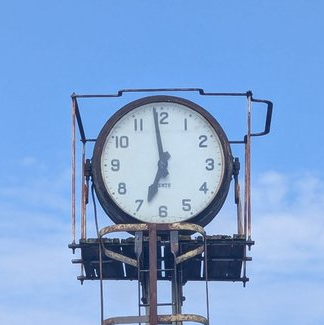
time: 6:58
